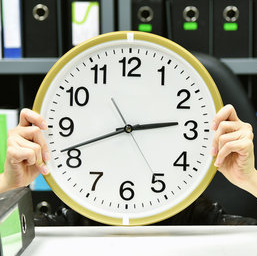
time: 2:41
